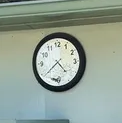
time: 4:38
